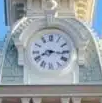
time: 8:16
